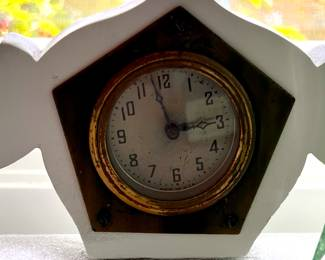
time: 2:57
